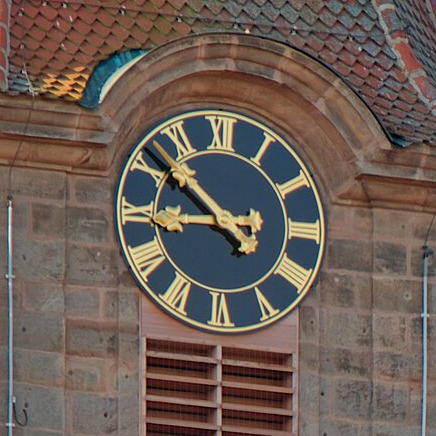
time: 8:51
